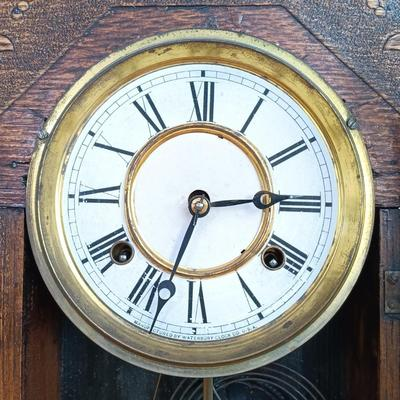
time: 2:33
